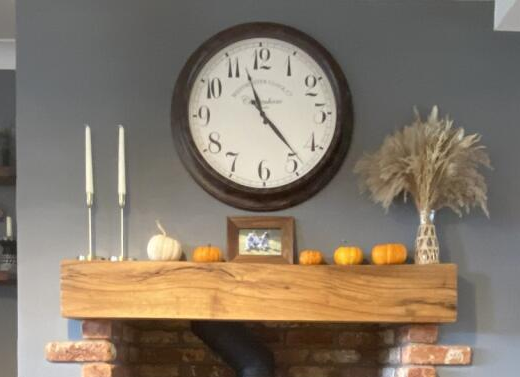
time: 11:23
